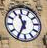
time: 11:35
